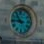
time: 10:45
